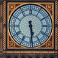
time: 5:29
